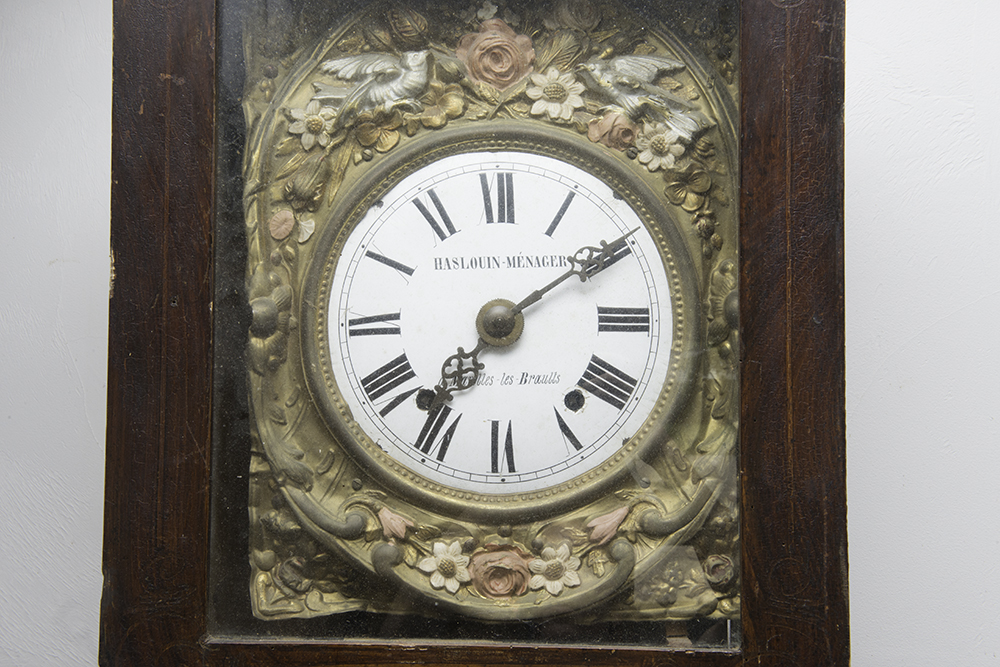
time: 7:09
